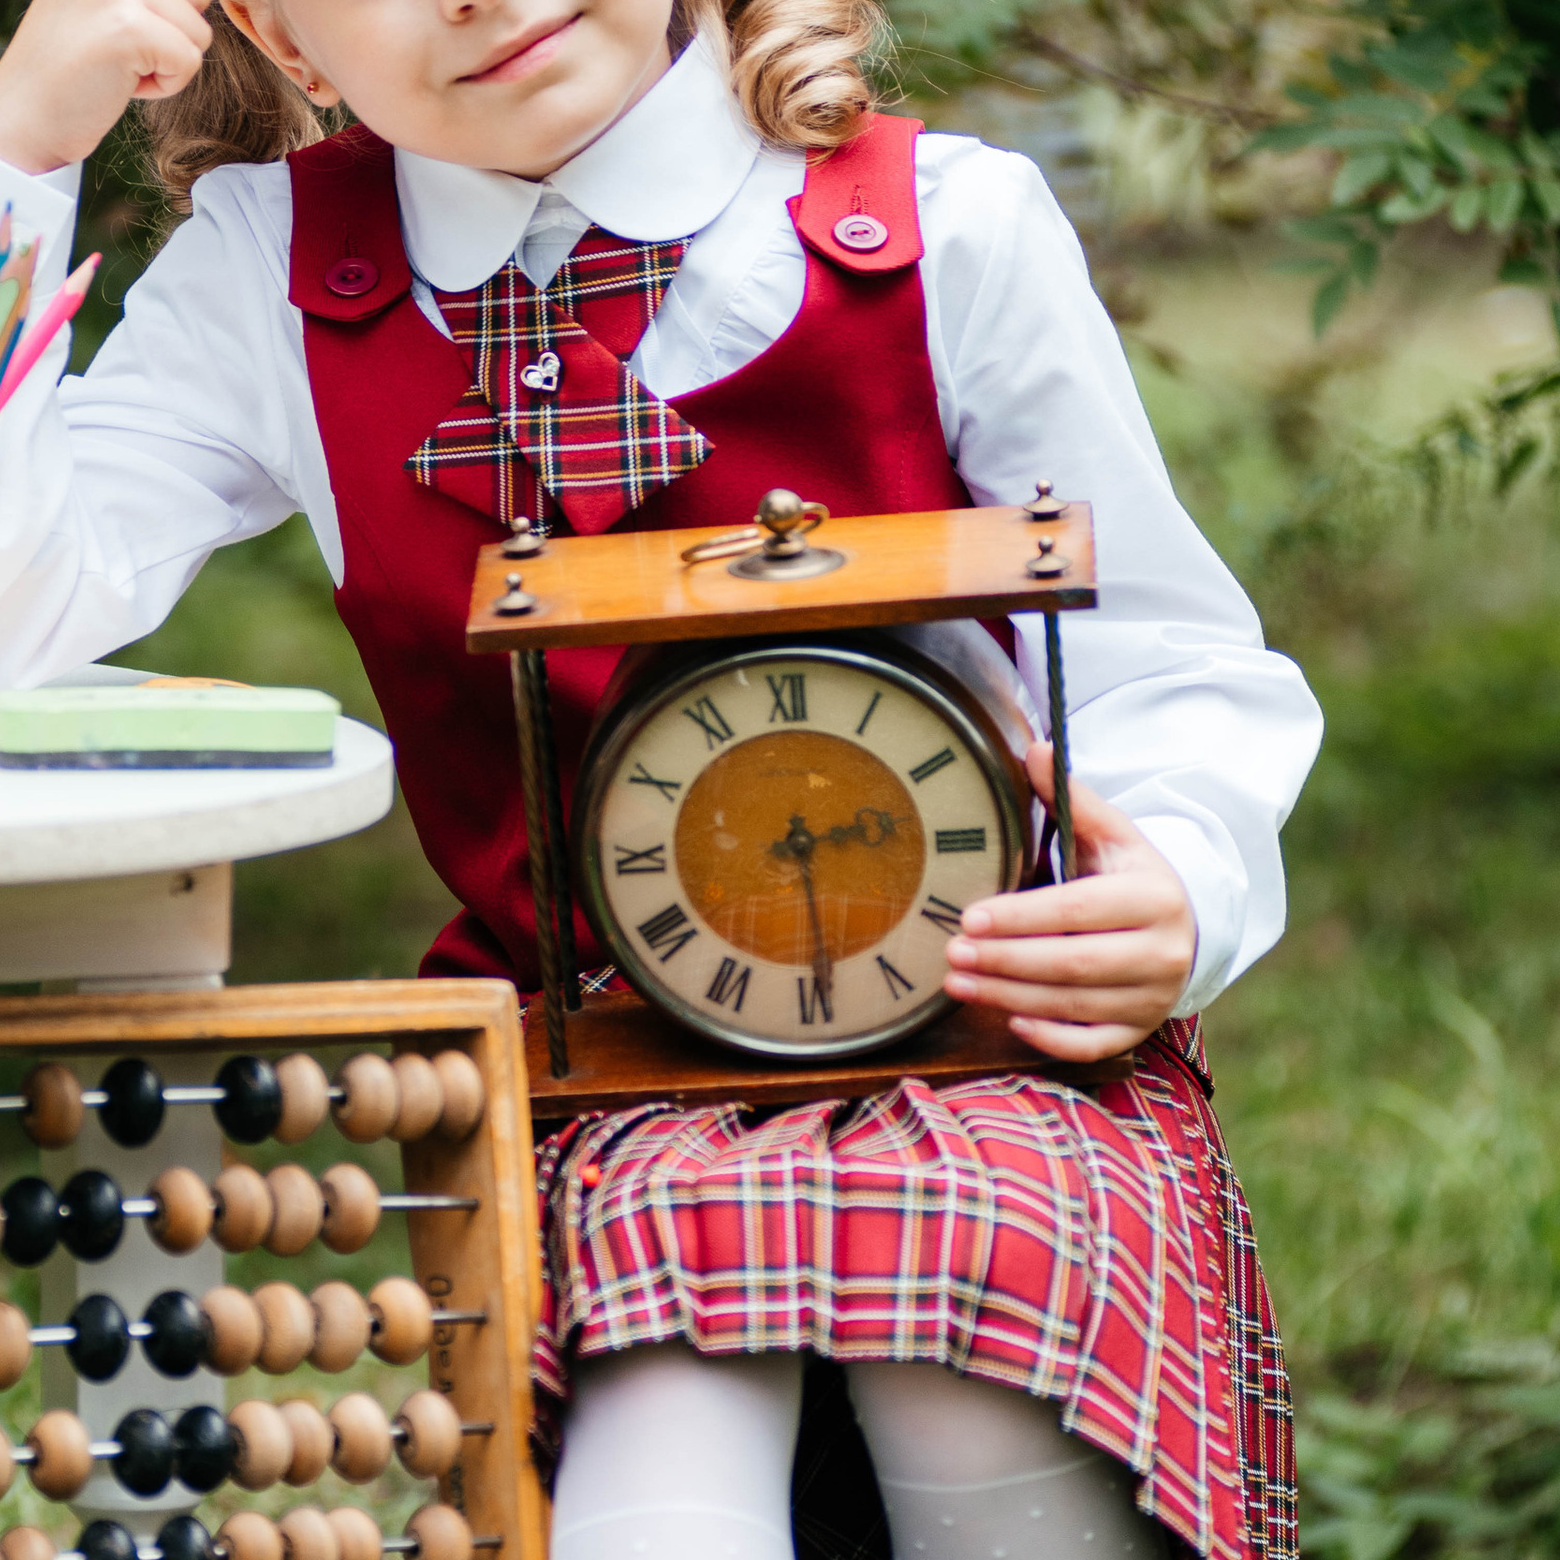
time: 2:29
